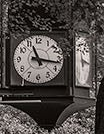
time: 11:16
